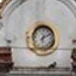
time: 6:10
